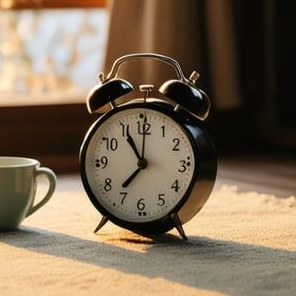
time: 11:01
